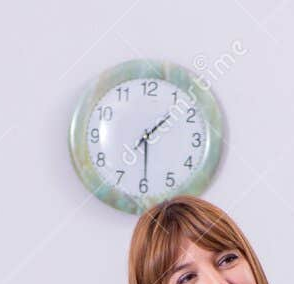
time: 1:29
